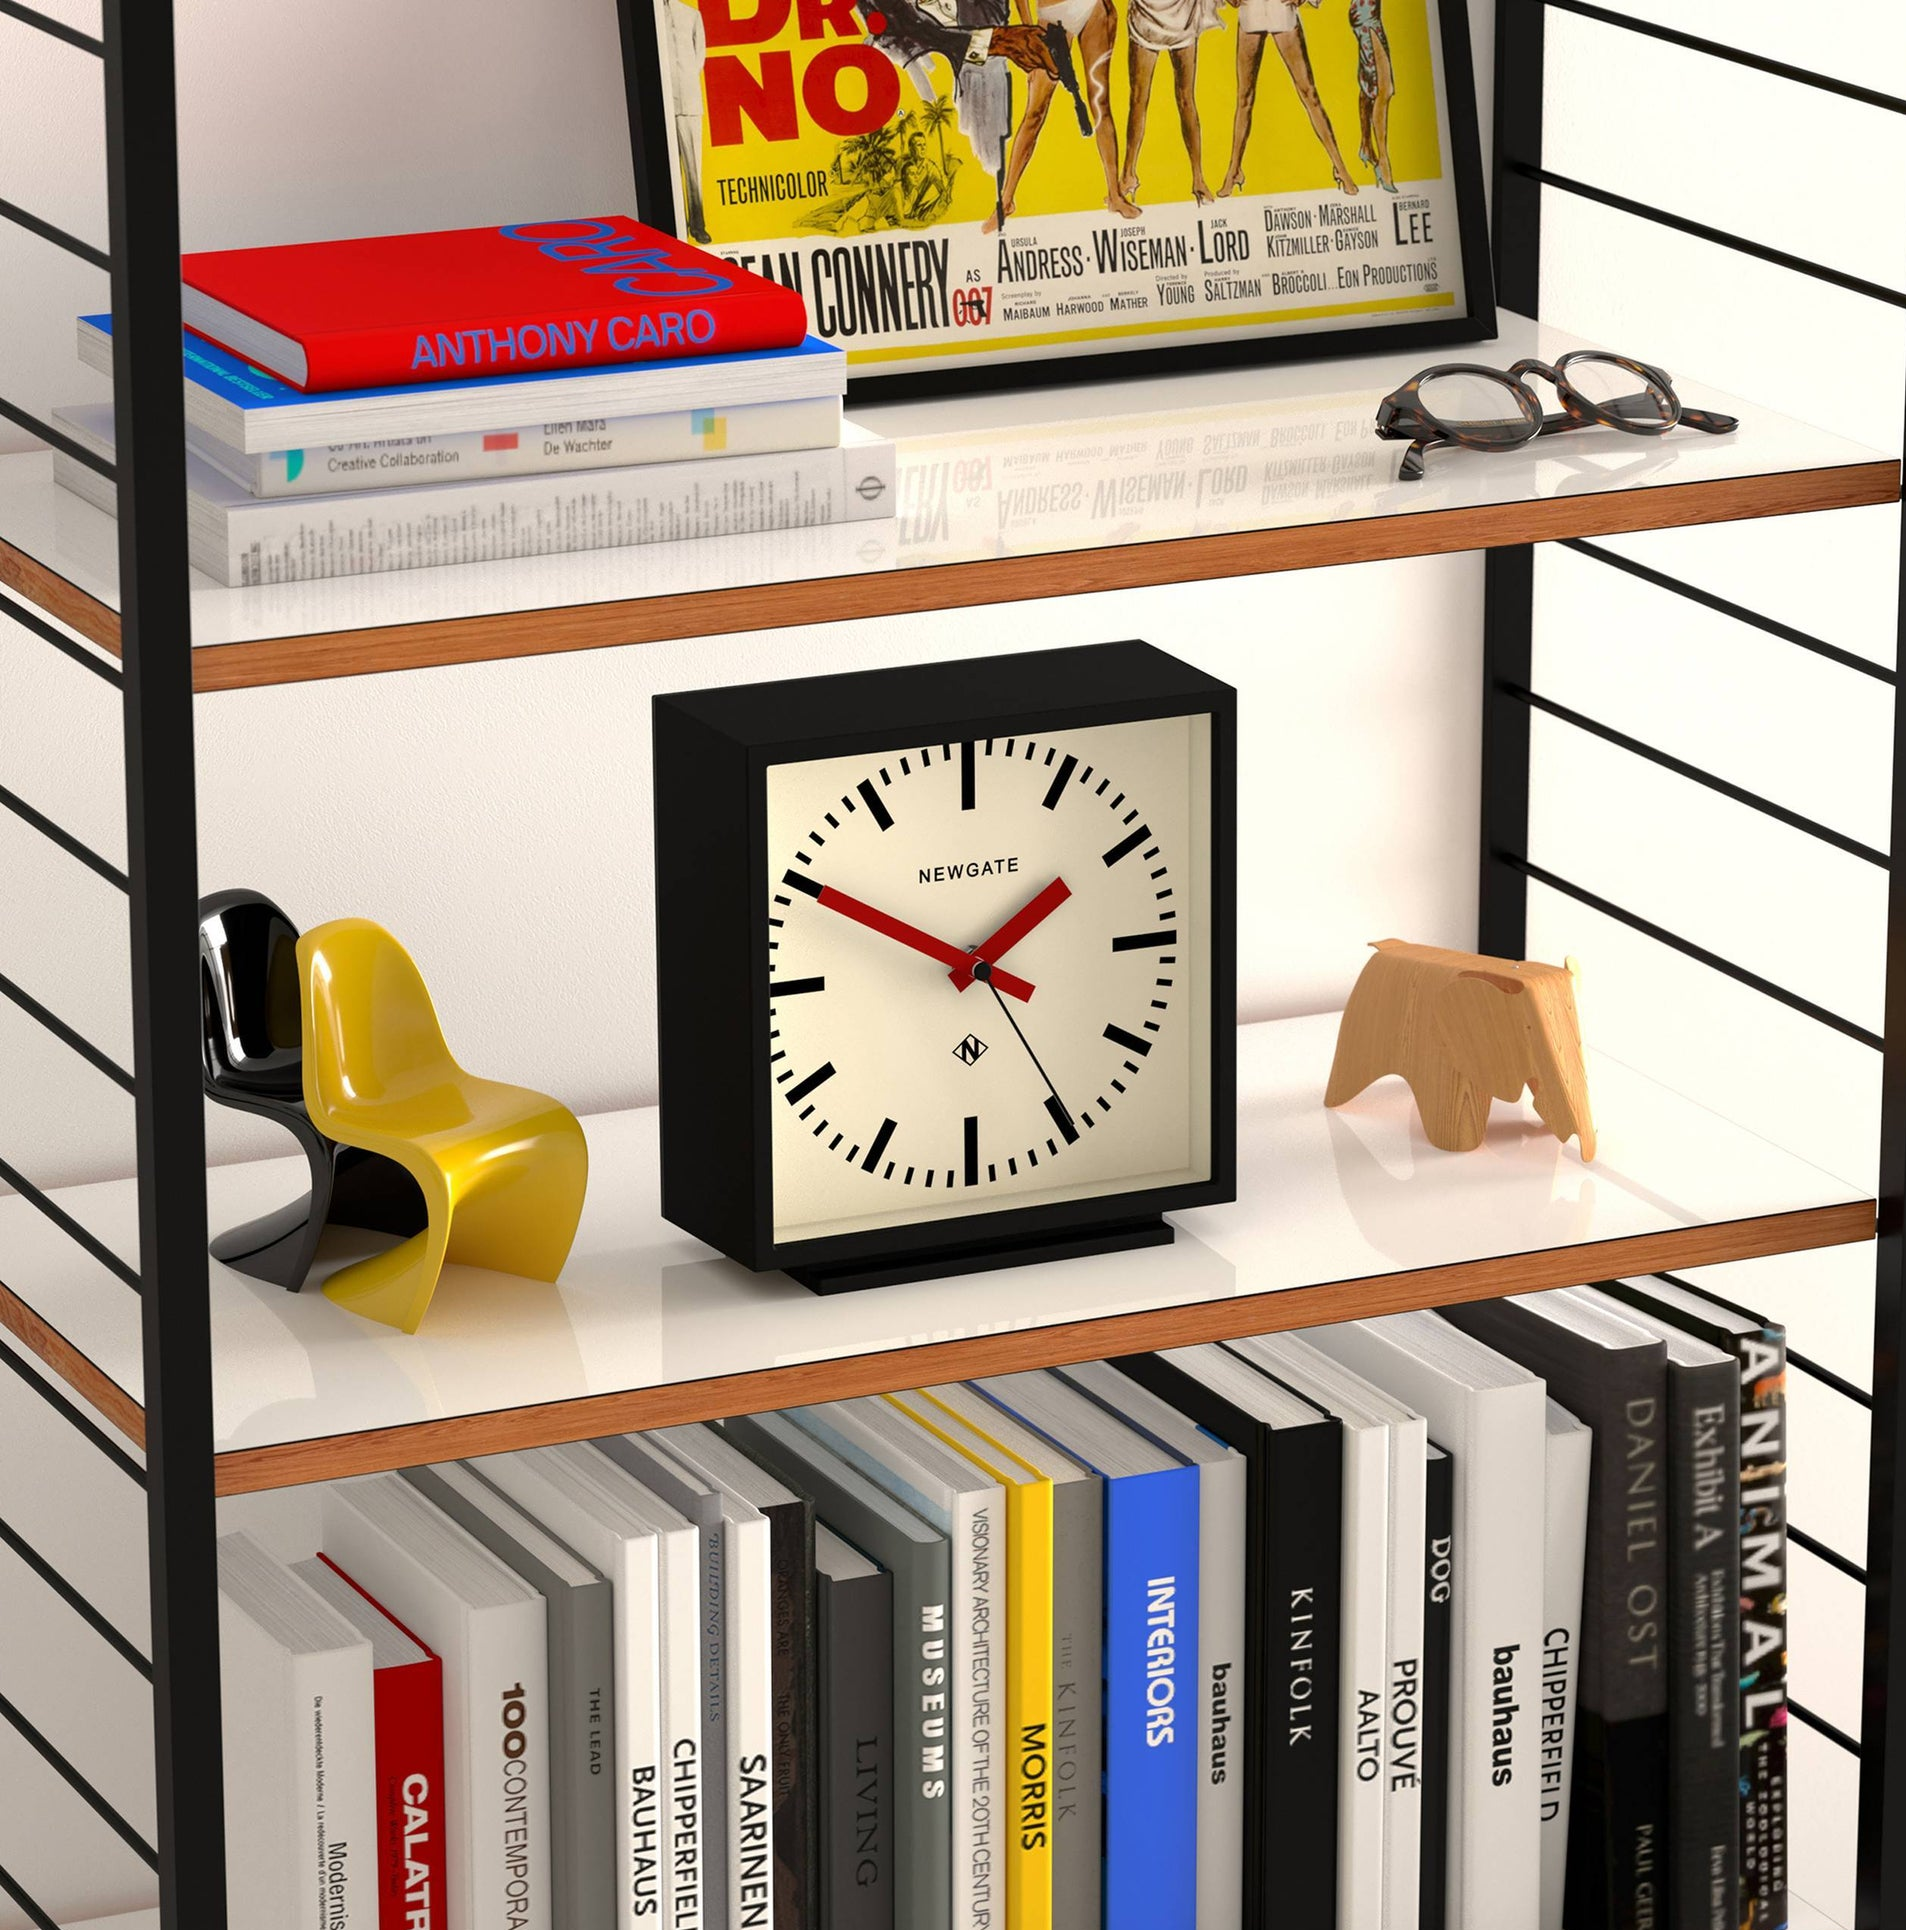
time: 1:50
